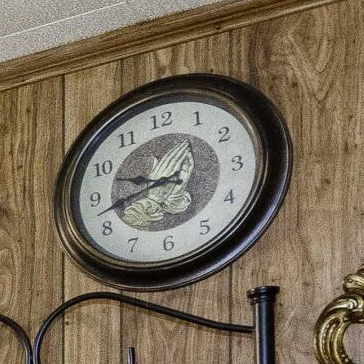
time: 9:42
